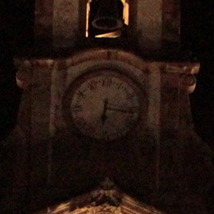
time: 6:16
